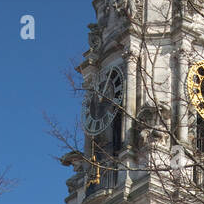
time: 1:18
